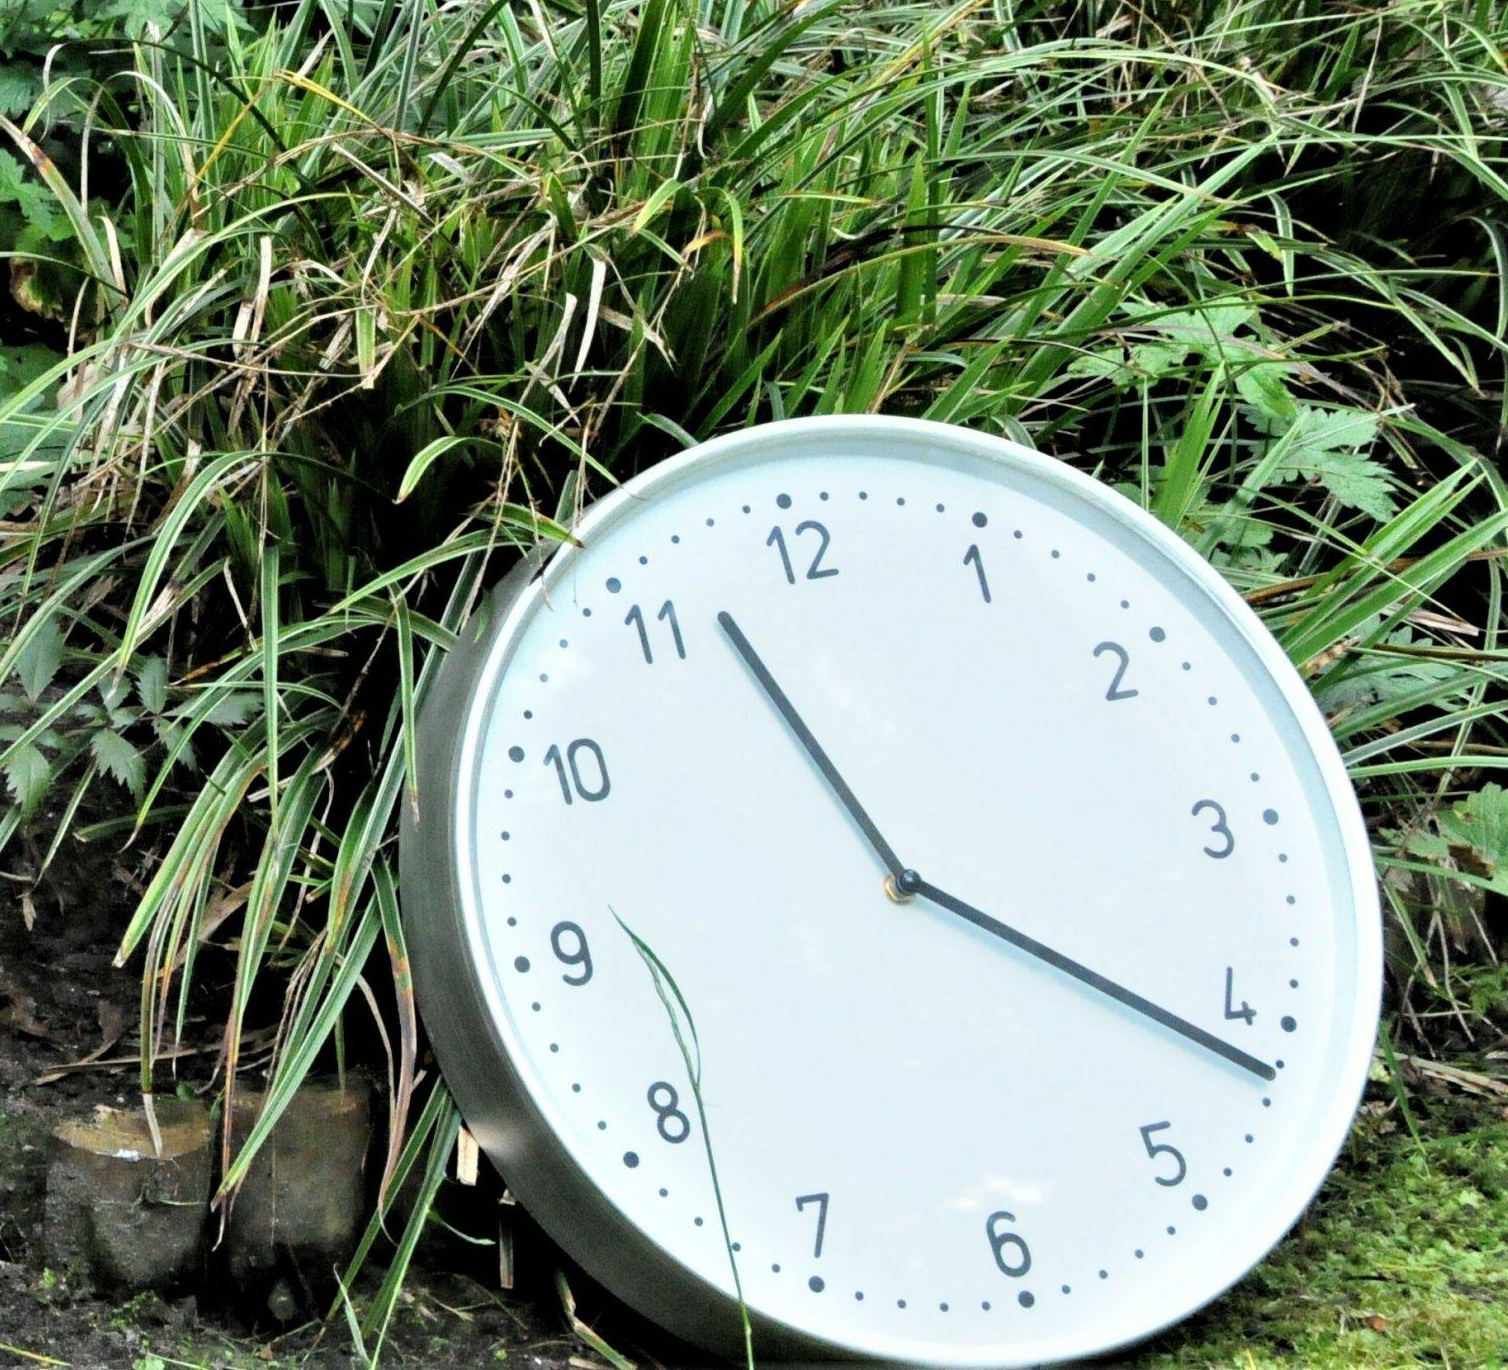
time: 11:21
